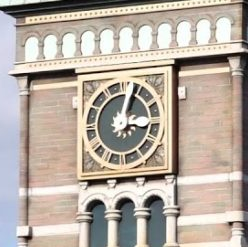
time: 3:02
